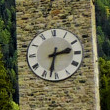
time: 2:32
